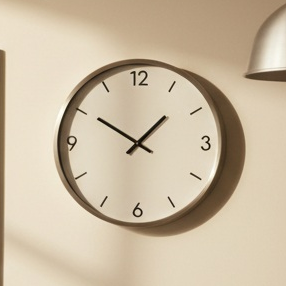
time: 1:50
